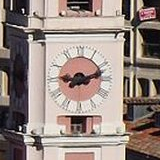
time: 9:12
